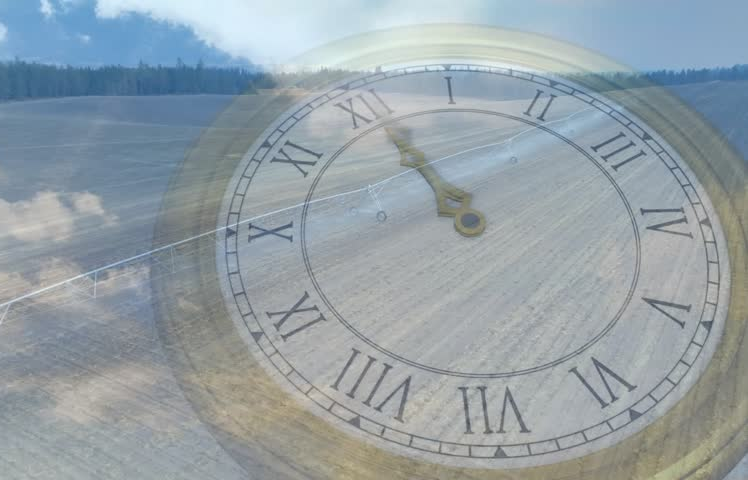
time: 10:54
